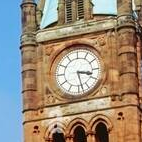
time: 3:28
